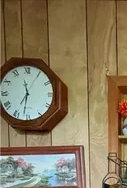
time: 11:31
